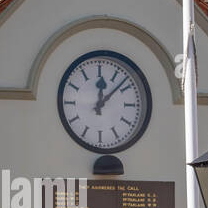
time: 12:07
